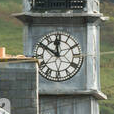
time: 11:50
